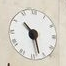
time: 10:27
